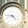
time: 4:45
